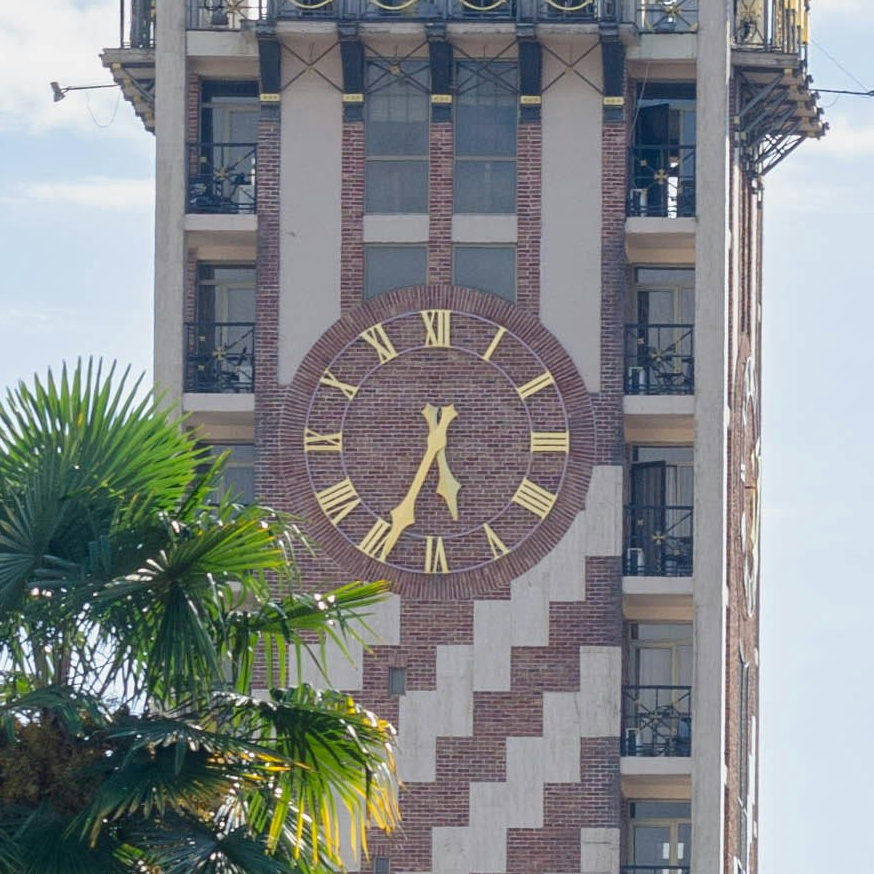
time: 5:33
